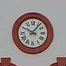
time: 10:06
